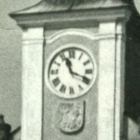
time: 11:18
